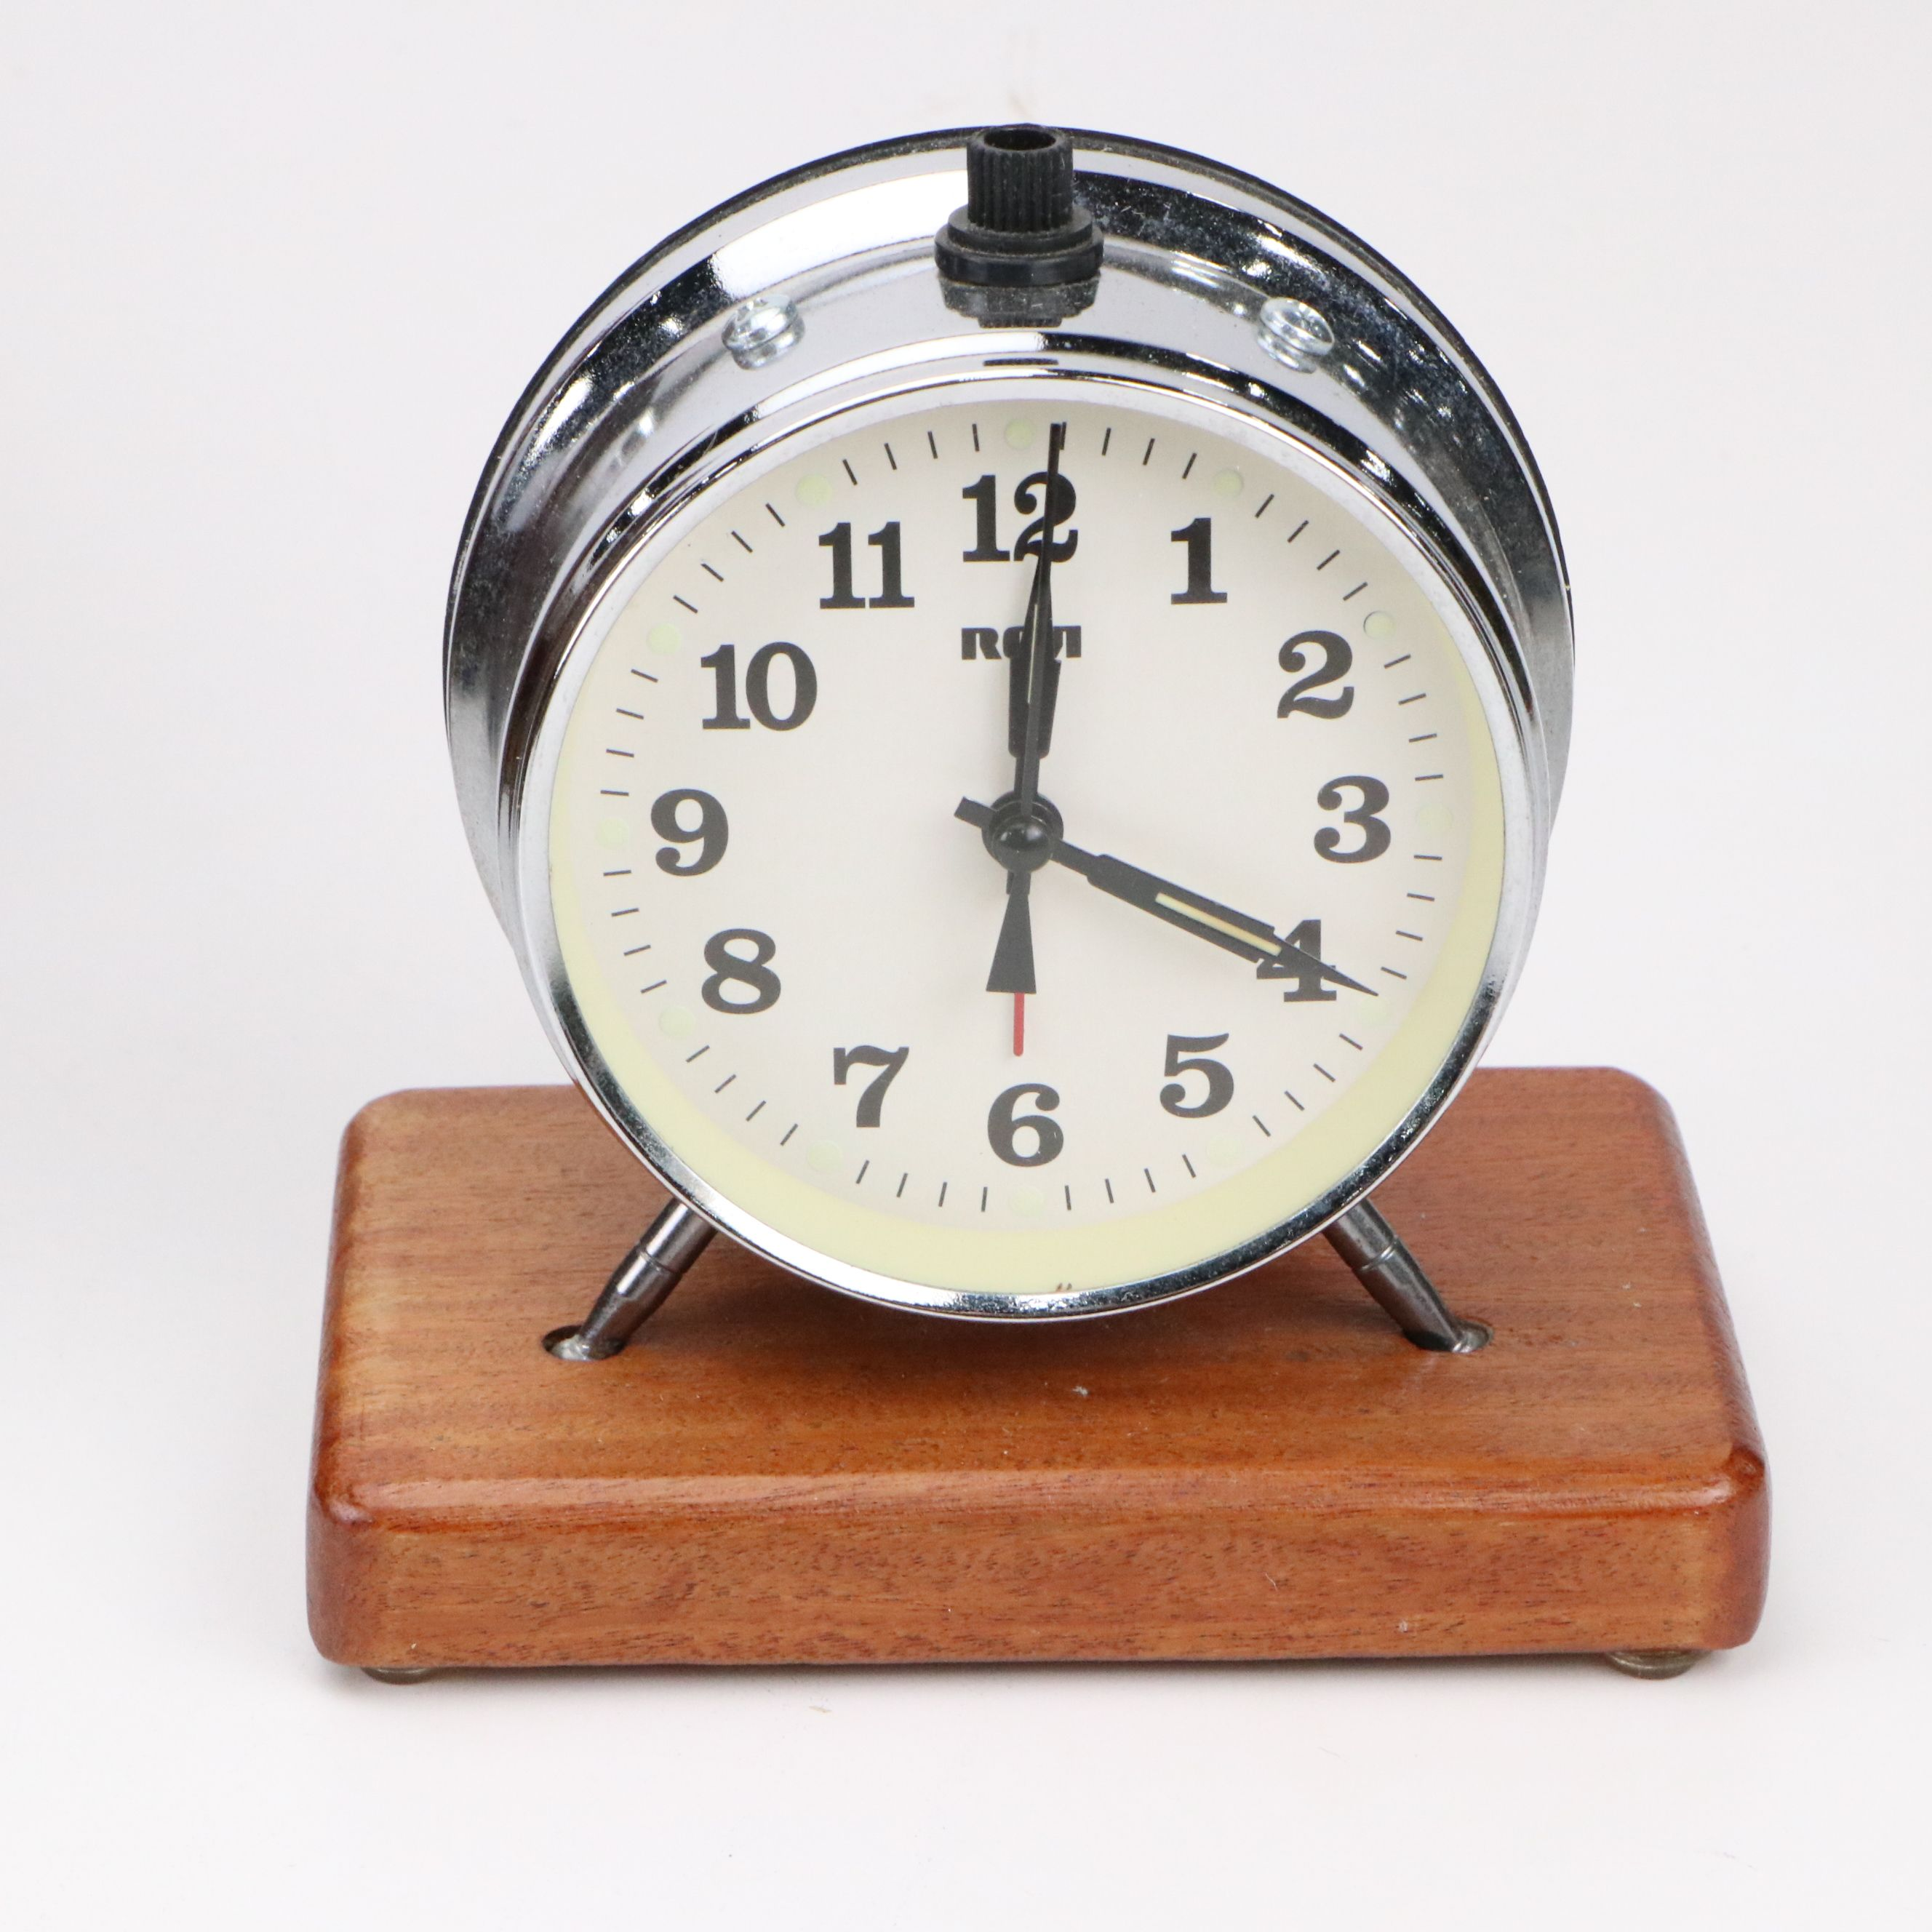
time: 4:00
